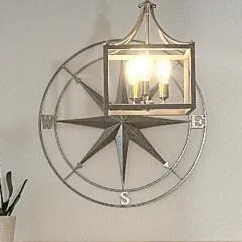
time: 4:14
